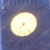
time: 7:24
